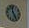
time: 11:25
